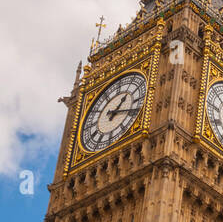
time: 1:18
